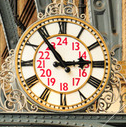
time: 2:53
